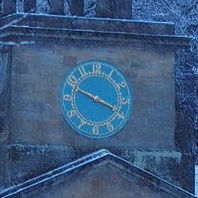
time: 3:48
